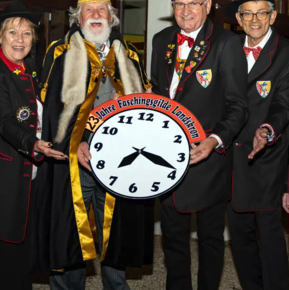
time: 7:18
